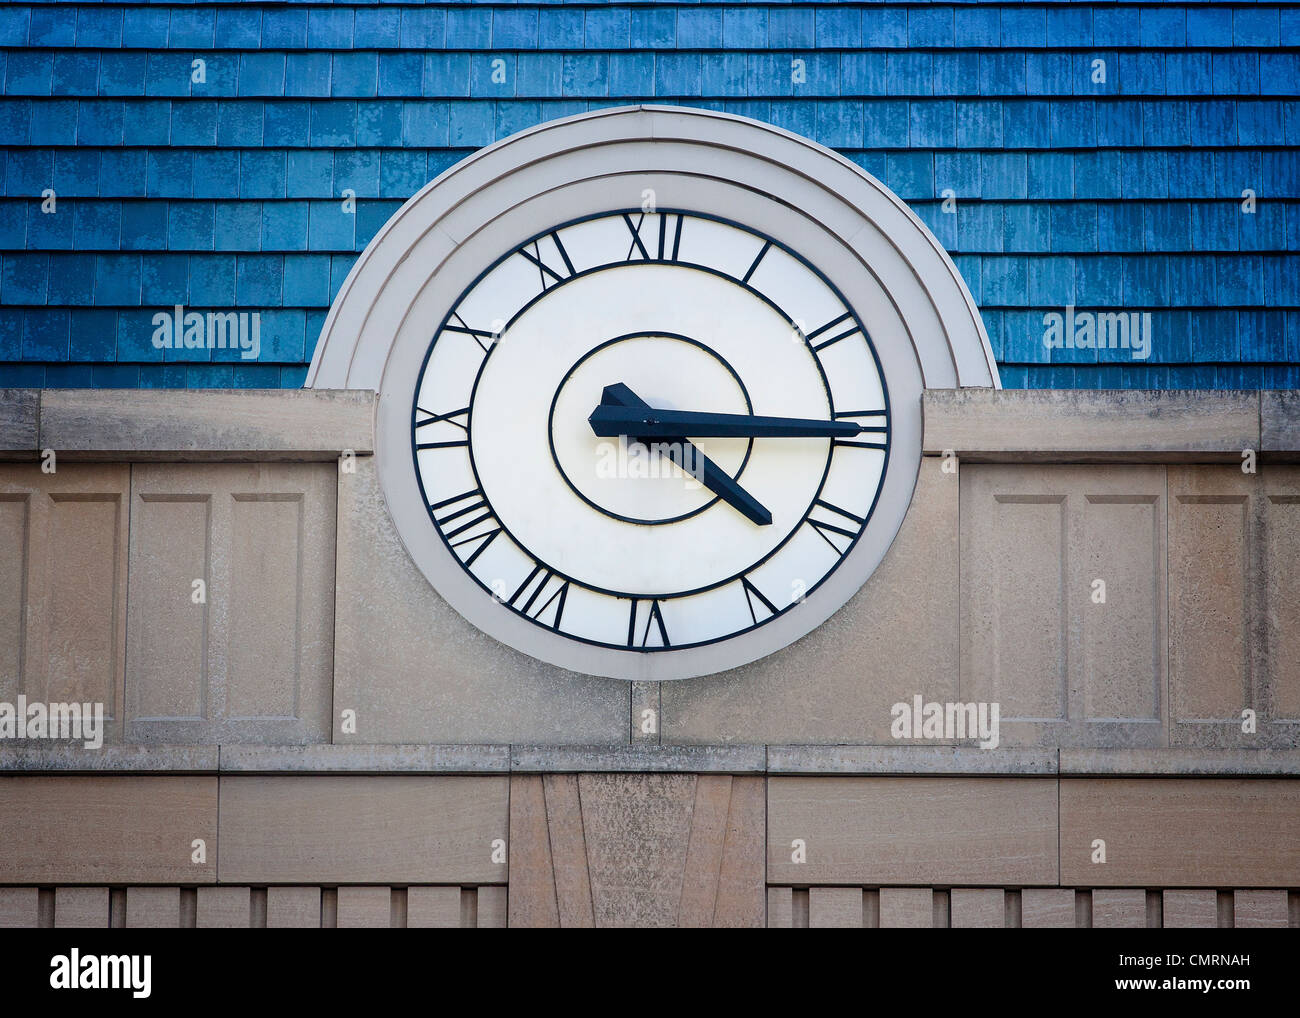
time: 4:15
